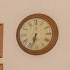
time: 6:33
